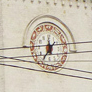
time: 6:35
